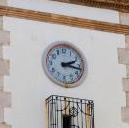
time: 2:16
